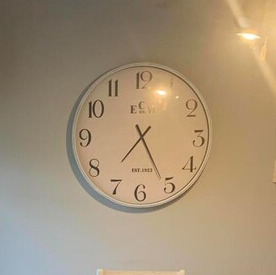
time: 7:25
